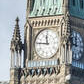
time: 11:46
